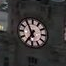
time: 6:54
